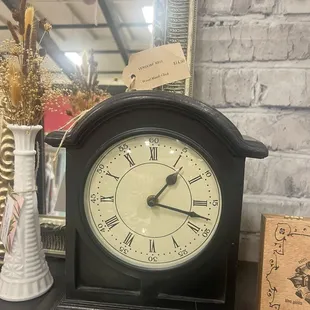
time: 1:17
